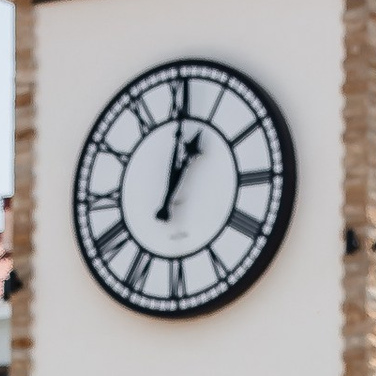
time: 1:01
